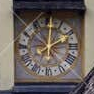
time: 2:00
